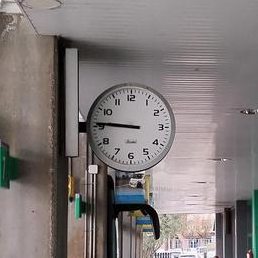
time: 8:45
